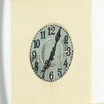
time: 7:04
